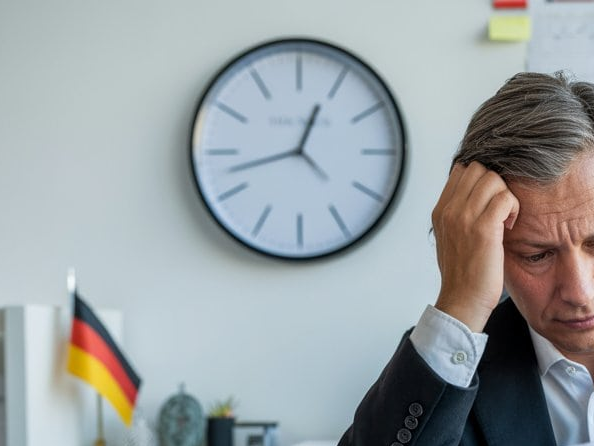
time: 12:42
